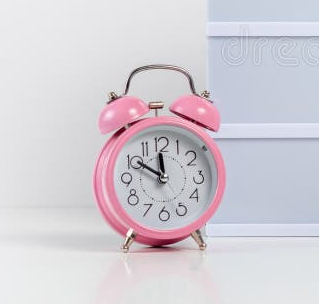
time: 11:50
